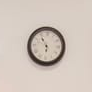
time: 5:54
